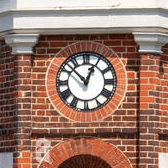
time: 12:52
